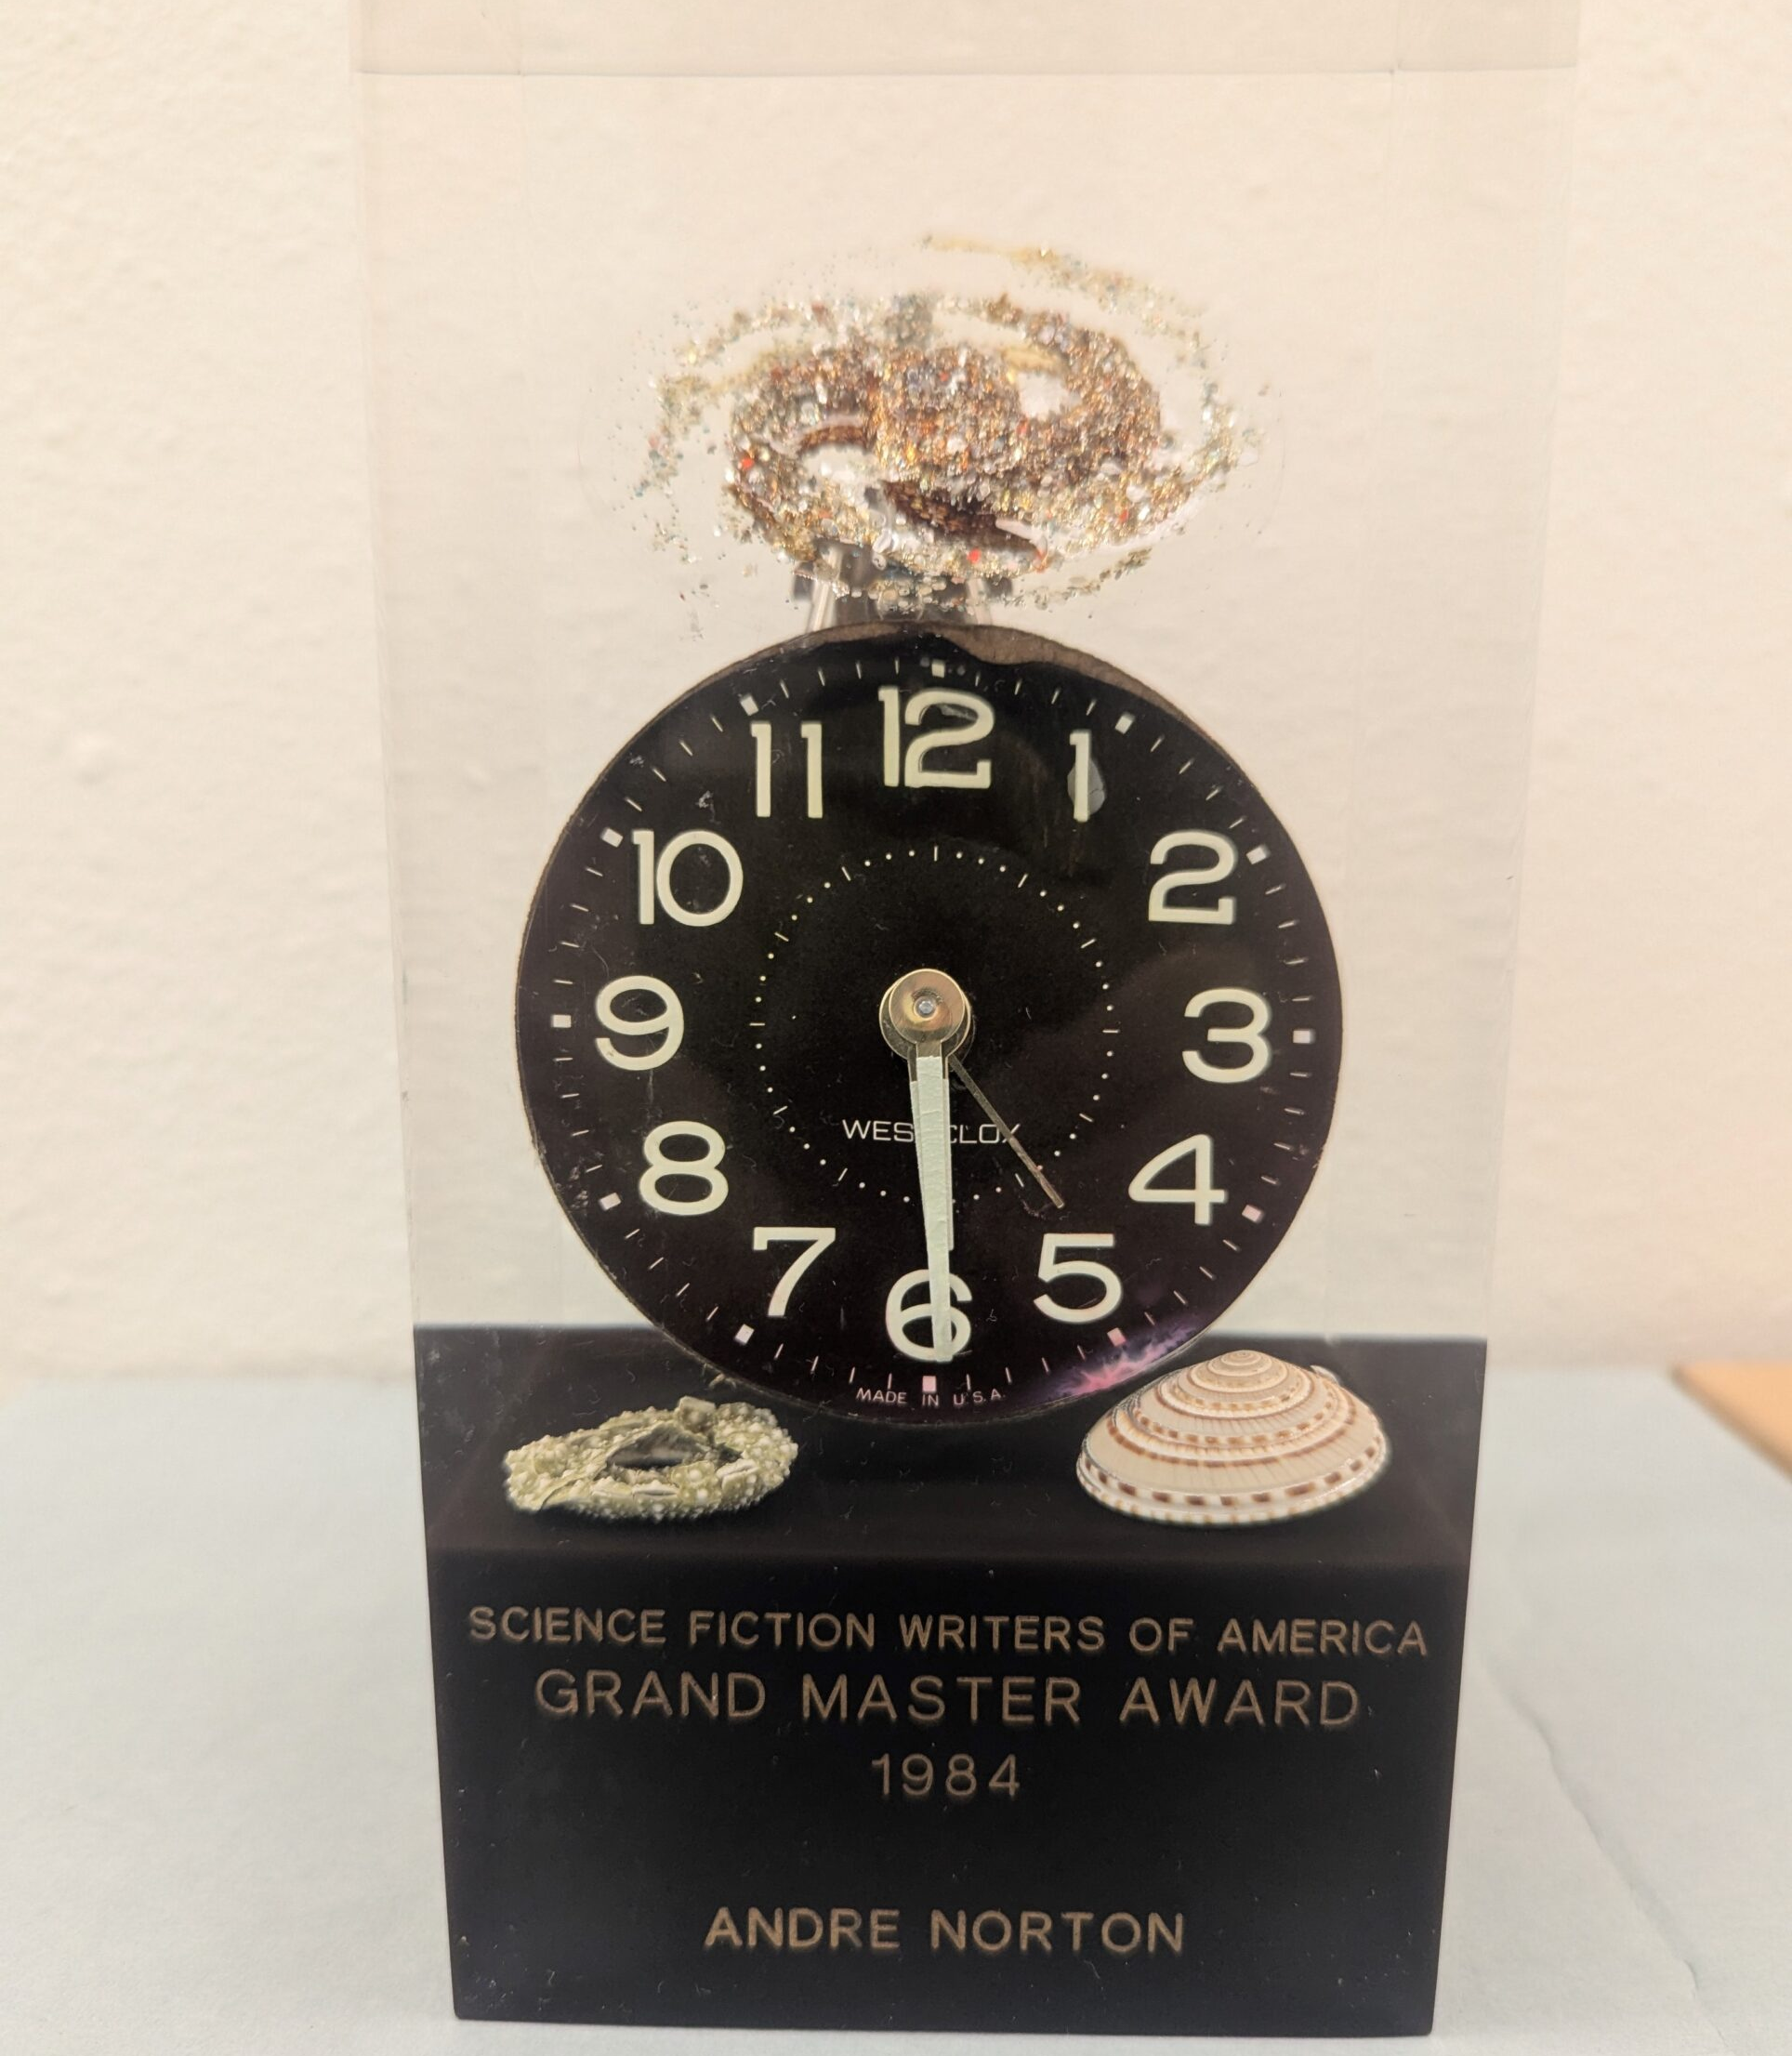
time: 5:29
